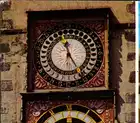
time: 11:24
